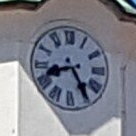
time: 8:24
